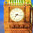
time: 7:16
